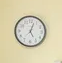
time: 5:03
